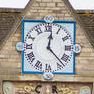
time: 12:23
